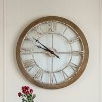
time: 9:51
